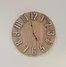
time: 4:58
